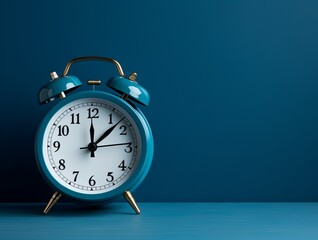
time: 12:07
